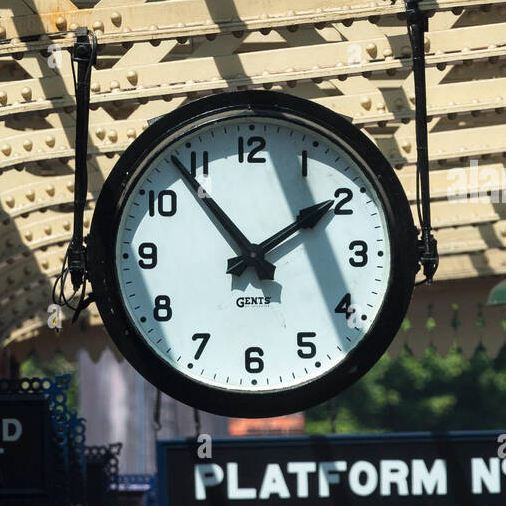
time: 1:53
